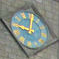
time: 9:01
